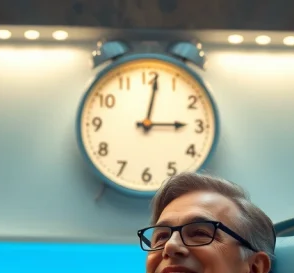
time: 3:01
